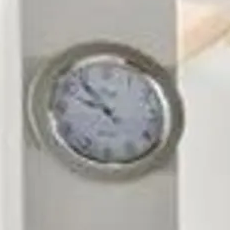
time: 9:53
